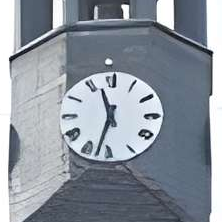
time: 11:32
